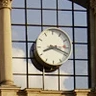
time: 8:18
